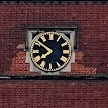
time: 7:51
